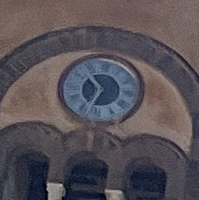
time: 10:33
